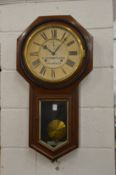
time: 10:07
